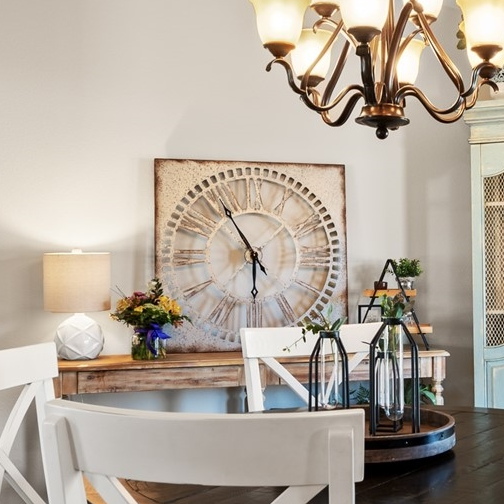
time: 5:54
